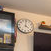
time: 4:00
